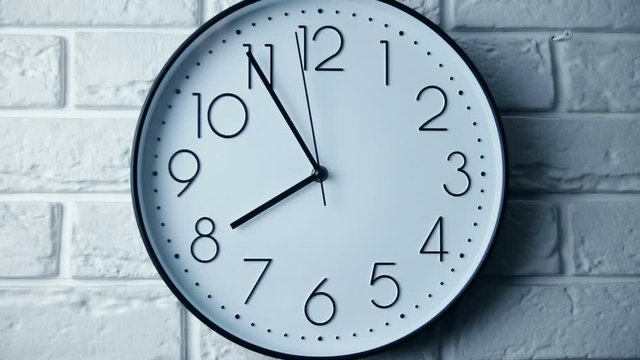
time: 7:54
